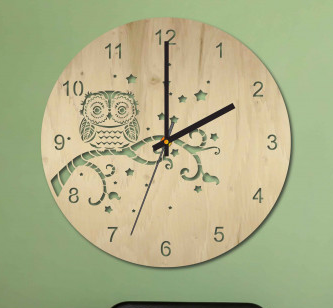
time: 2:00
